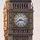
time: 8:17
